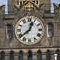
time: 12:38
